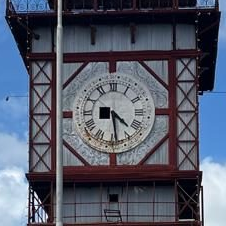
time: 4:28
